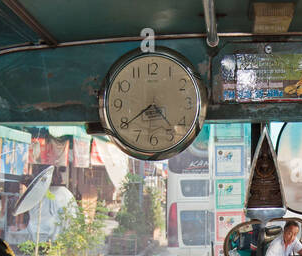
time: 4:39
